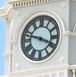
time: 3:47
